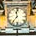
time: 11:36
